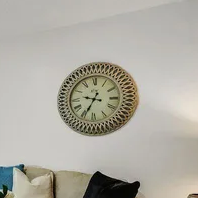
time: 9:34
